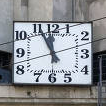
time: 11:55
